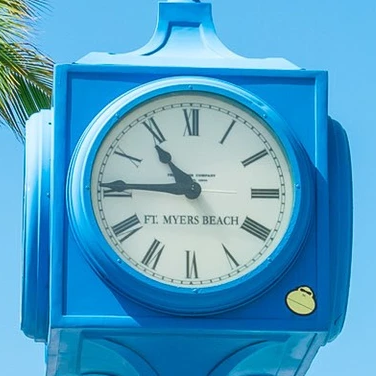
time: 10:45
